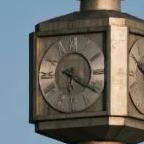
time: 6:20
